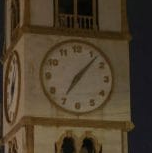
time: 7:07
